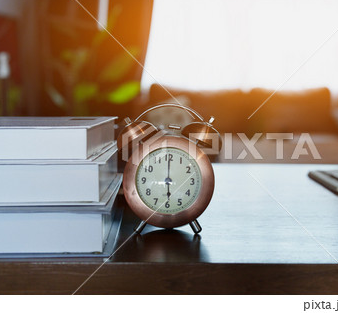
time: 6:00
